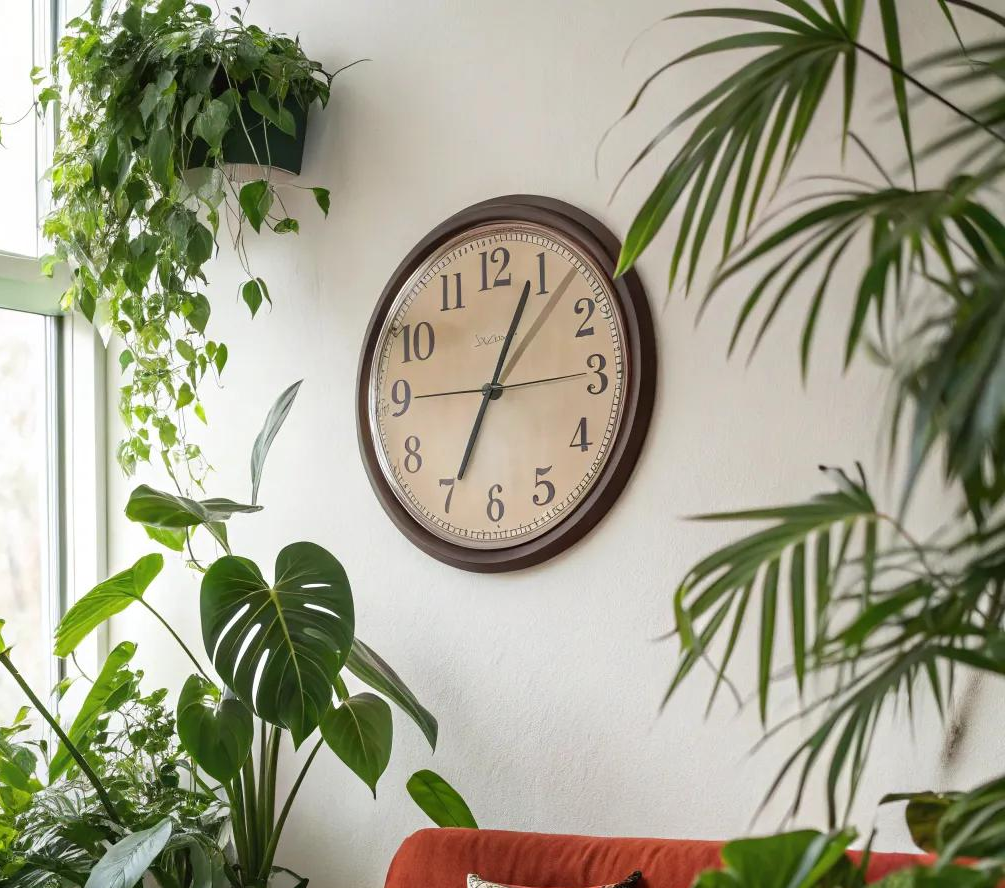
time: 7:04
